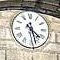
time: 4:27
